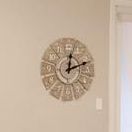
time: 12:11
